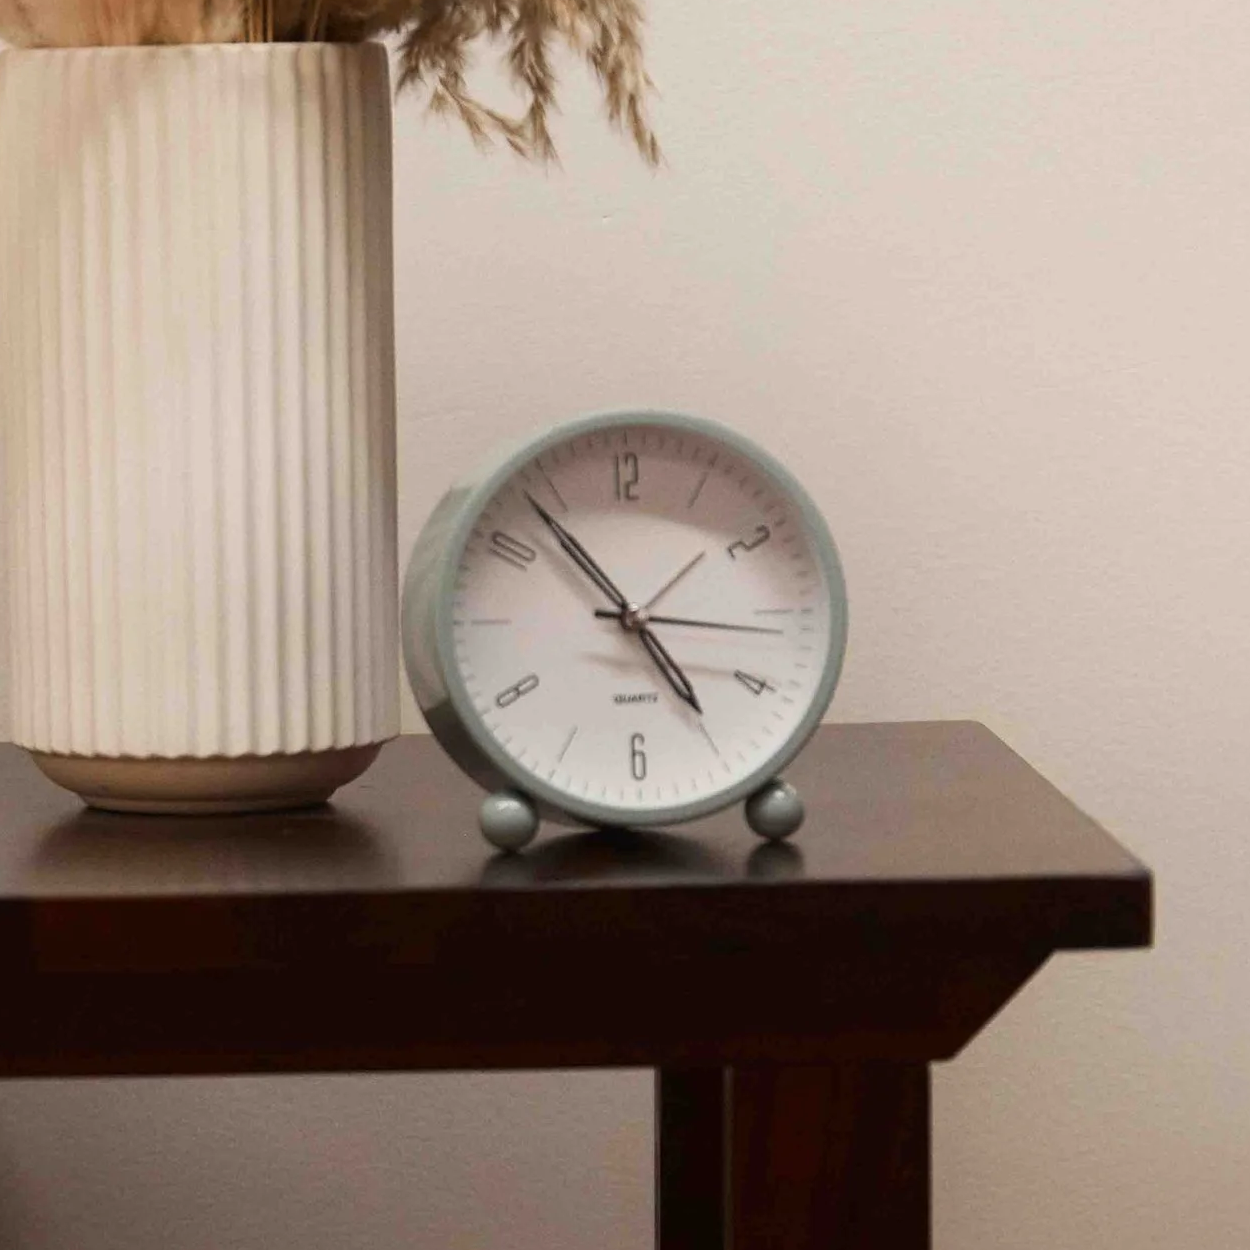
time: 4:53
